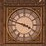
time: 3:47
